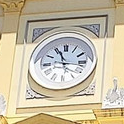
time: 11:16
